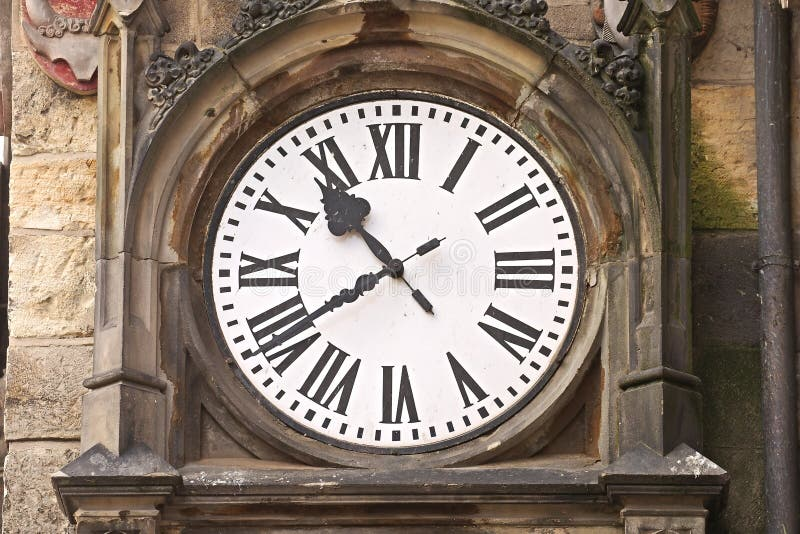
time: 10:39
